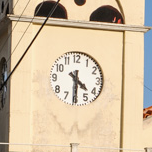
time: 4:30
